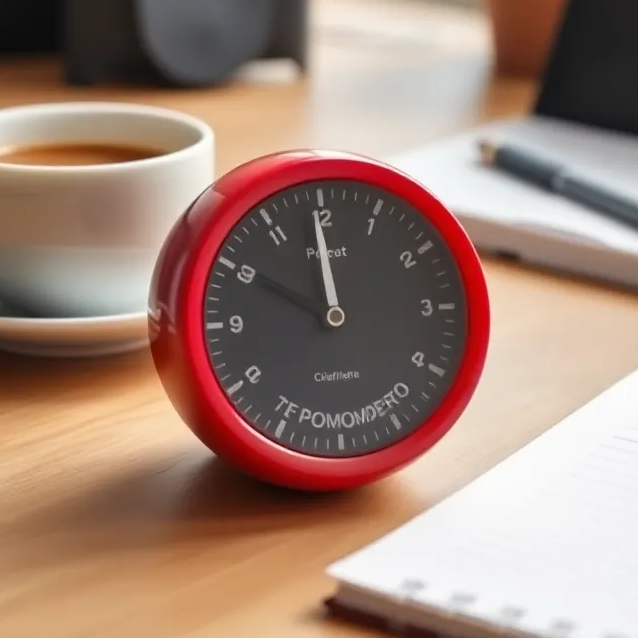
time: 9:59
